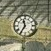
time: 11:35
